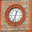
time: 12:33
